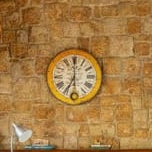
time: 7:00
